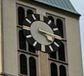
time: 4:15
